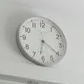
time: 6:20
